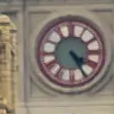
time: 4:24
